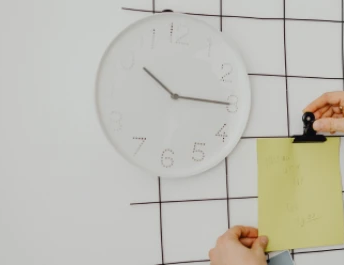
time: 10:15
